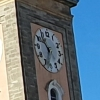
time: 10:32
